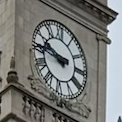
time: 9:45
